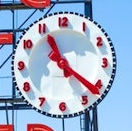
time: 11:21
